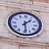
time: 1:28
